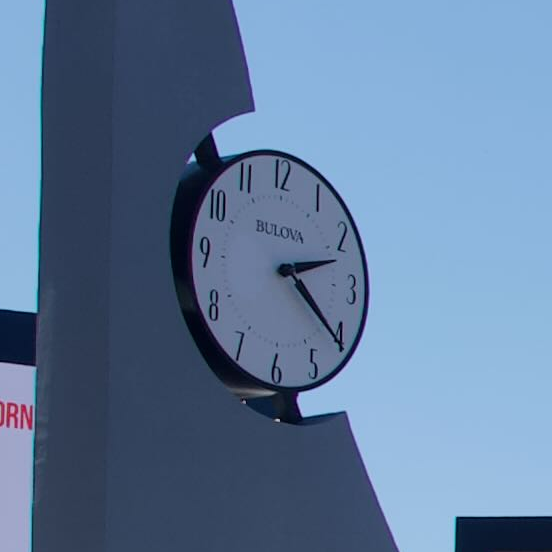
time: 2:20
